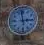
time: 2:58
